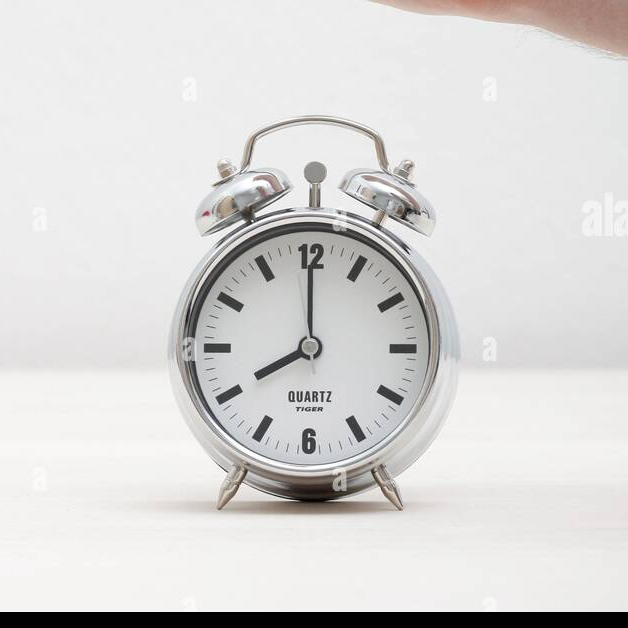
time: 8:00
